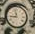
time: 8:57
